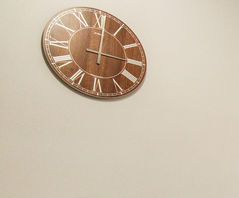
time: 3:00
